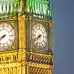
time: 7:40
